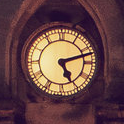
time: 5:12
